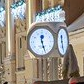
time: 12:26
